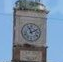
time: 11:10
